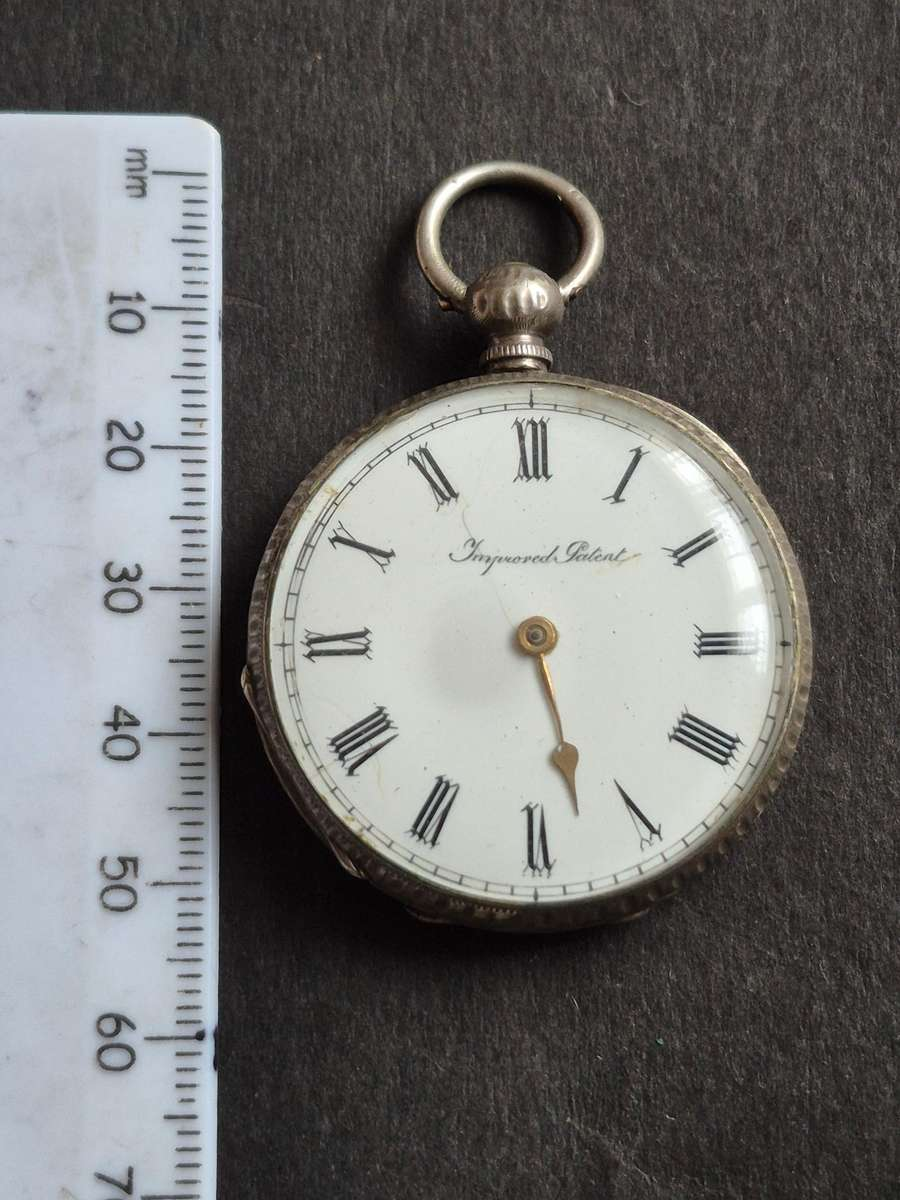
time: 5:27
